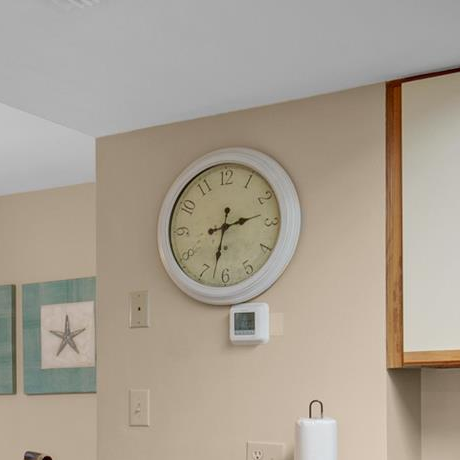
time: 2:32
